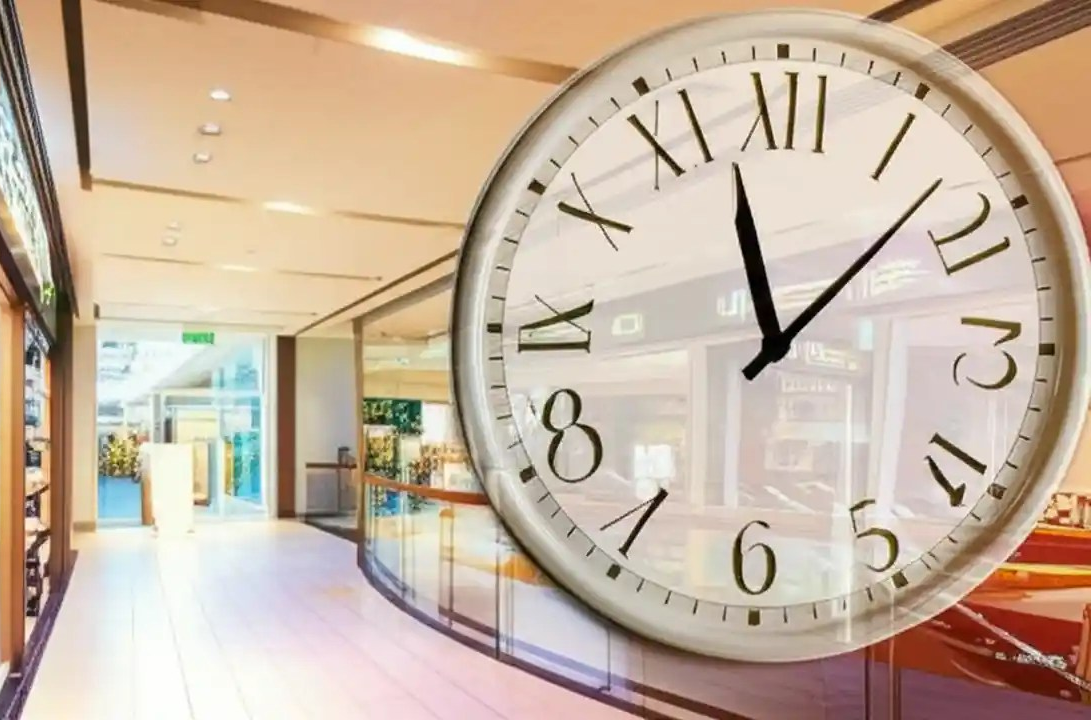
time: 11:07
